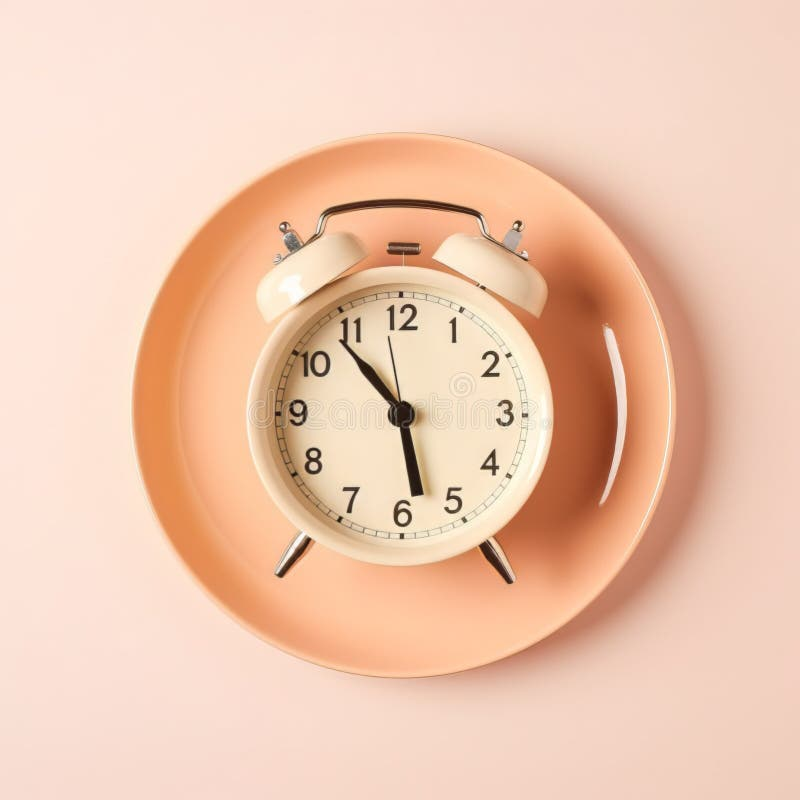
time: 5:53
